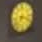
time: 7:17
